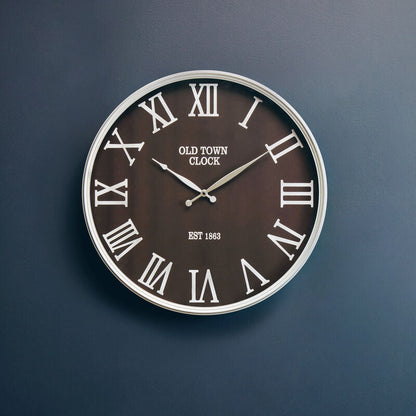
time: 10:09
